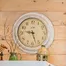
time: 9:27
